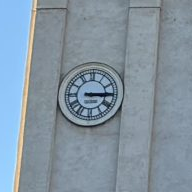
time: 3:14
